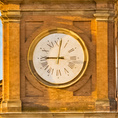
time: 9:01
